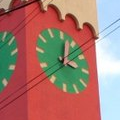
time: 3:02
